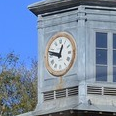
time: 12:47
